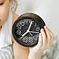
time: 12:37
